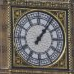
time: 1:06
